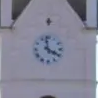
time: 3:58
